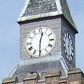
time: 12:30
